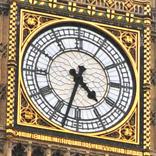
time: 4:32
